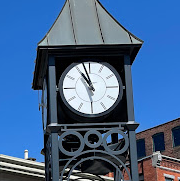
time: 10:57
